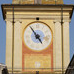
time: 4:54
